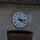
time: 4:16
